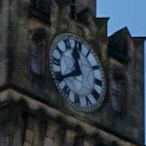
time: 11:39
